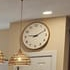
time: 9:10
